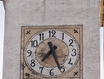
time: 7:26
